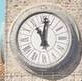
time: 11:01
